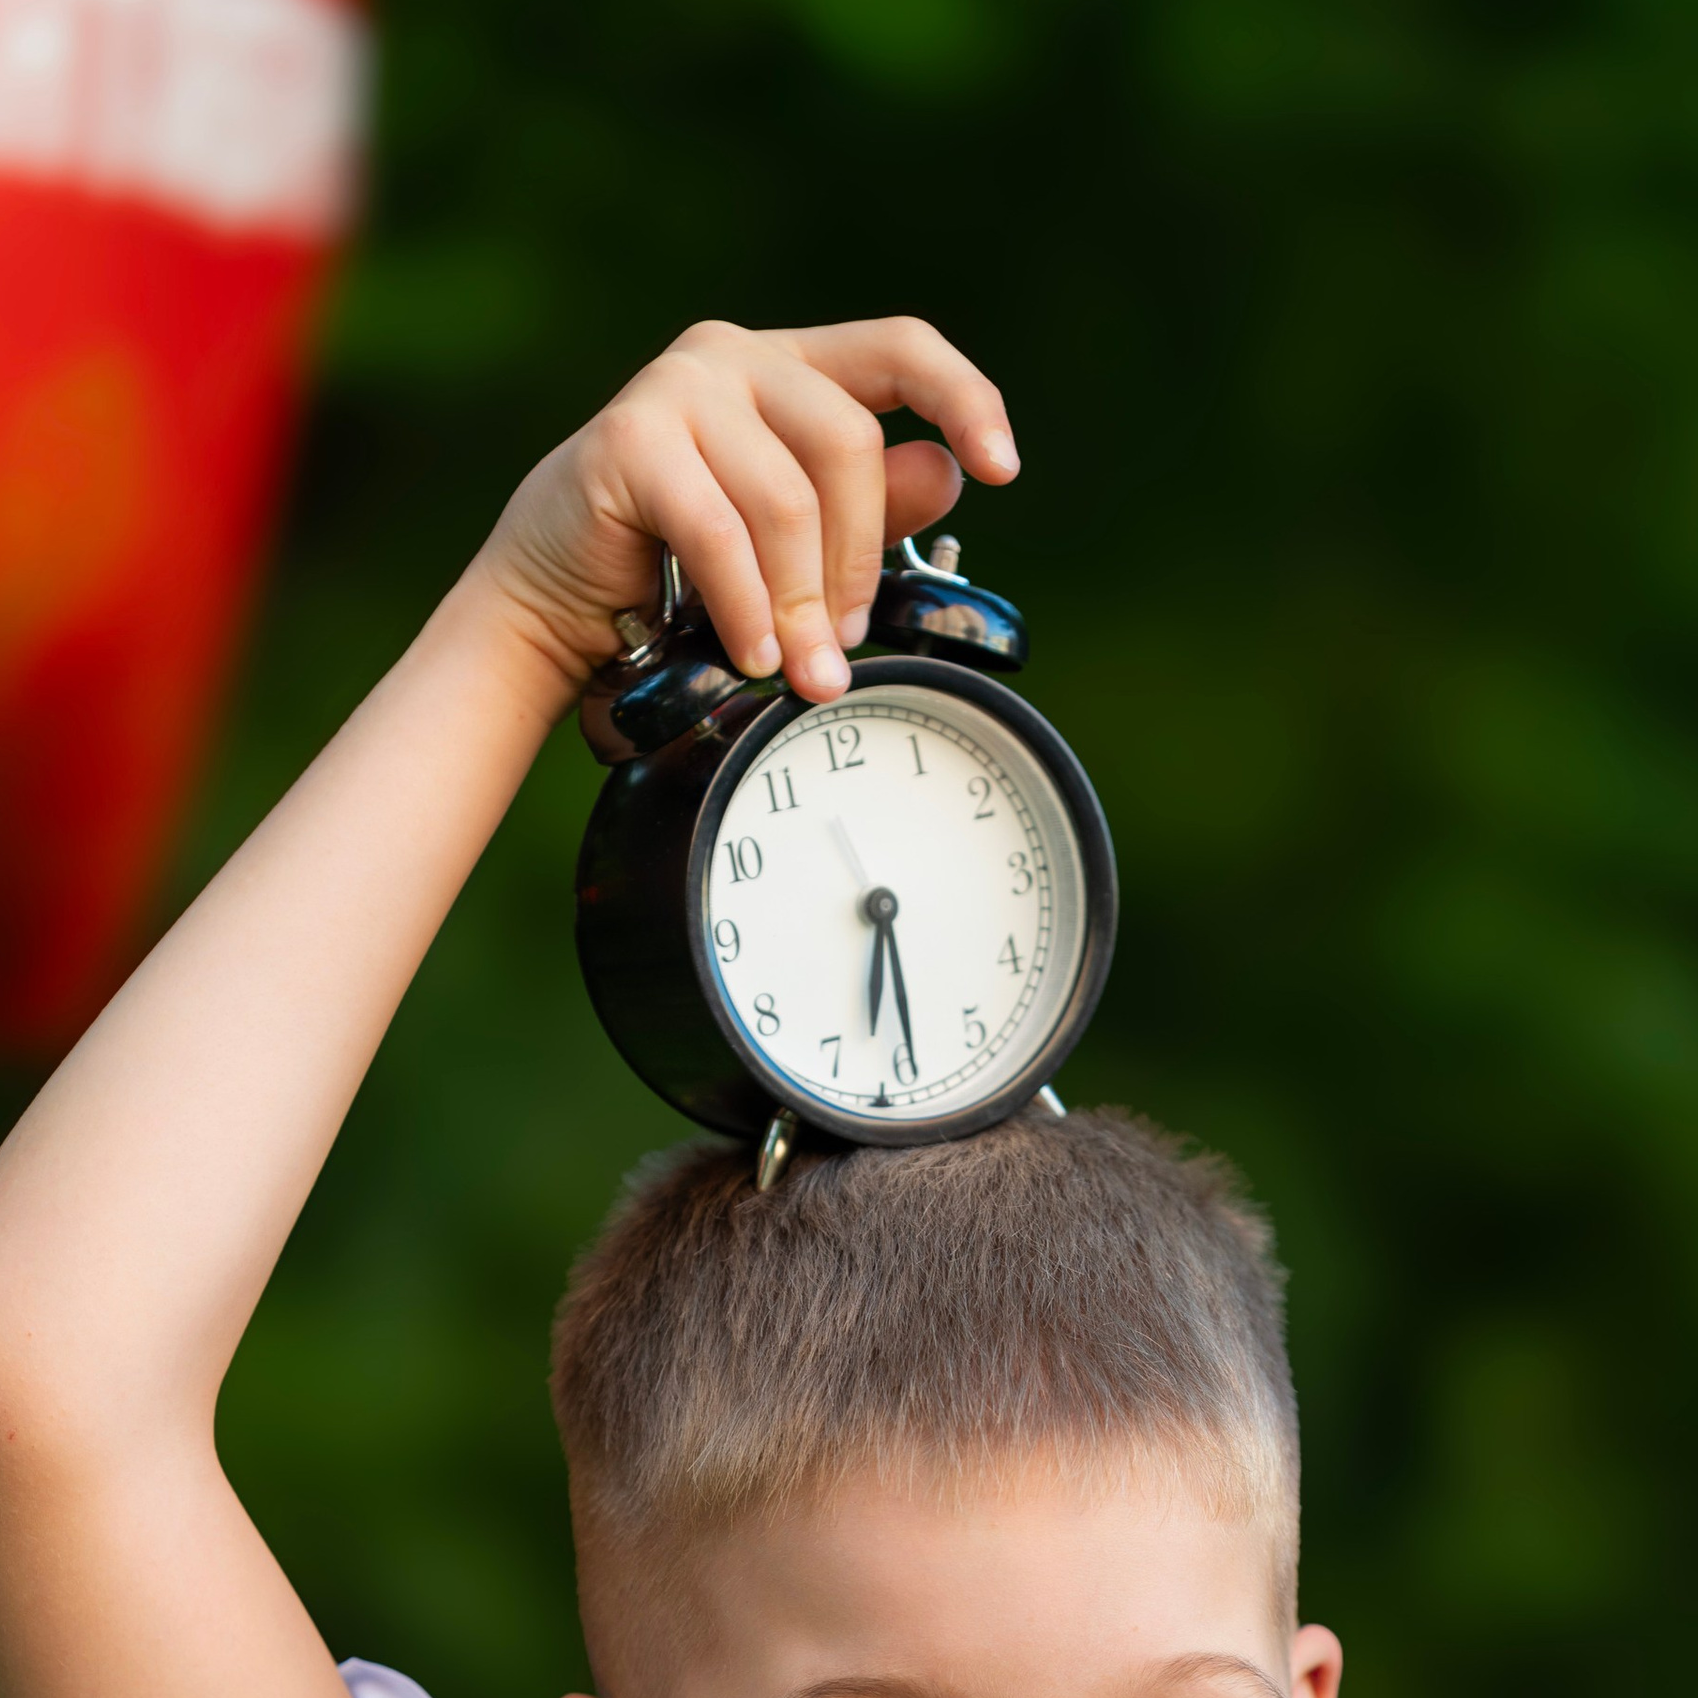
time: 6:29
